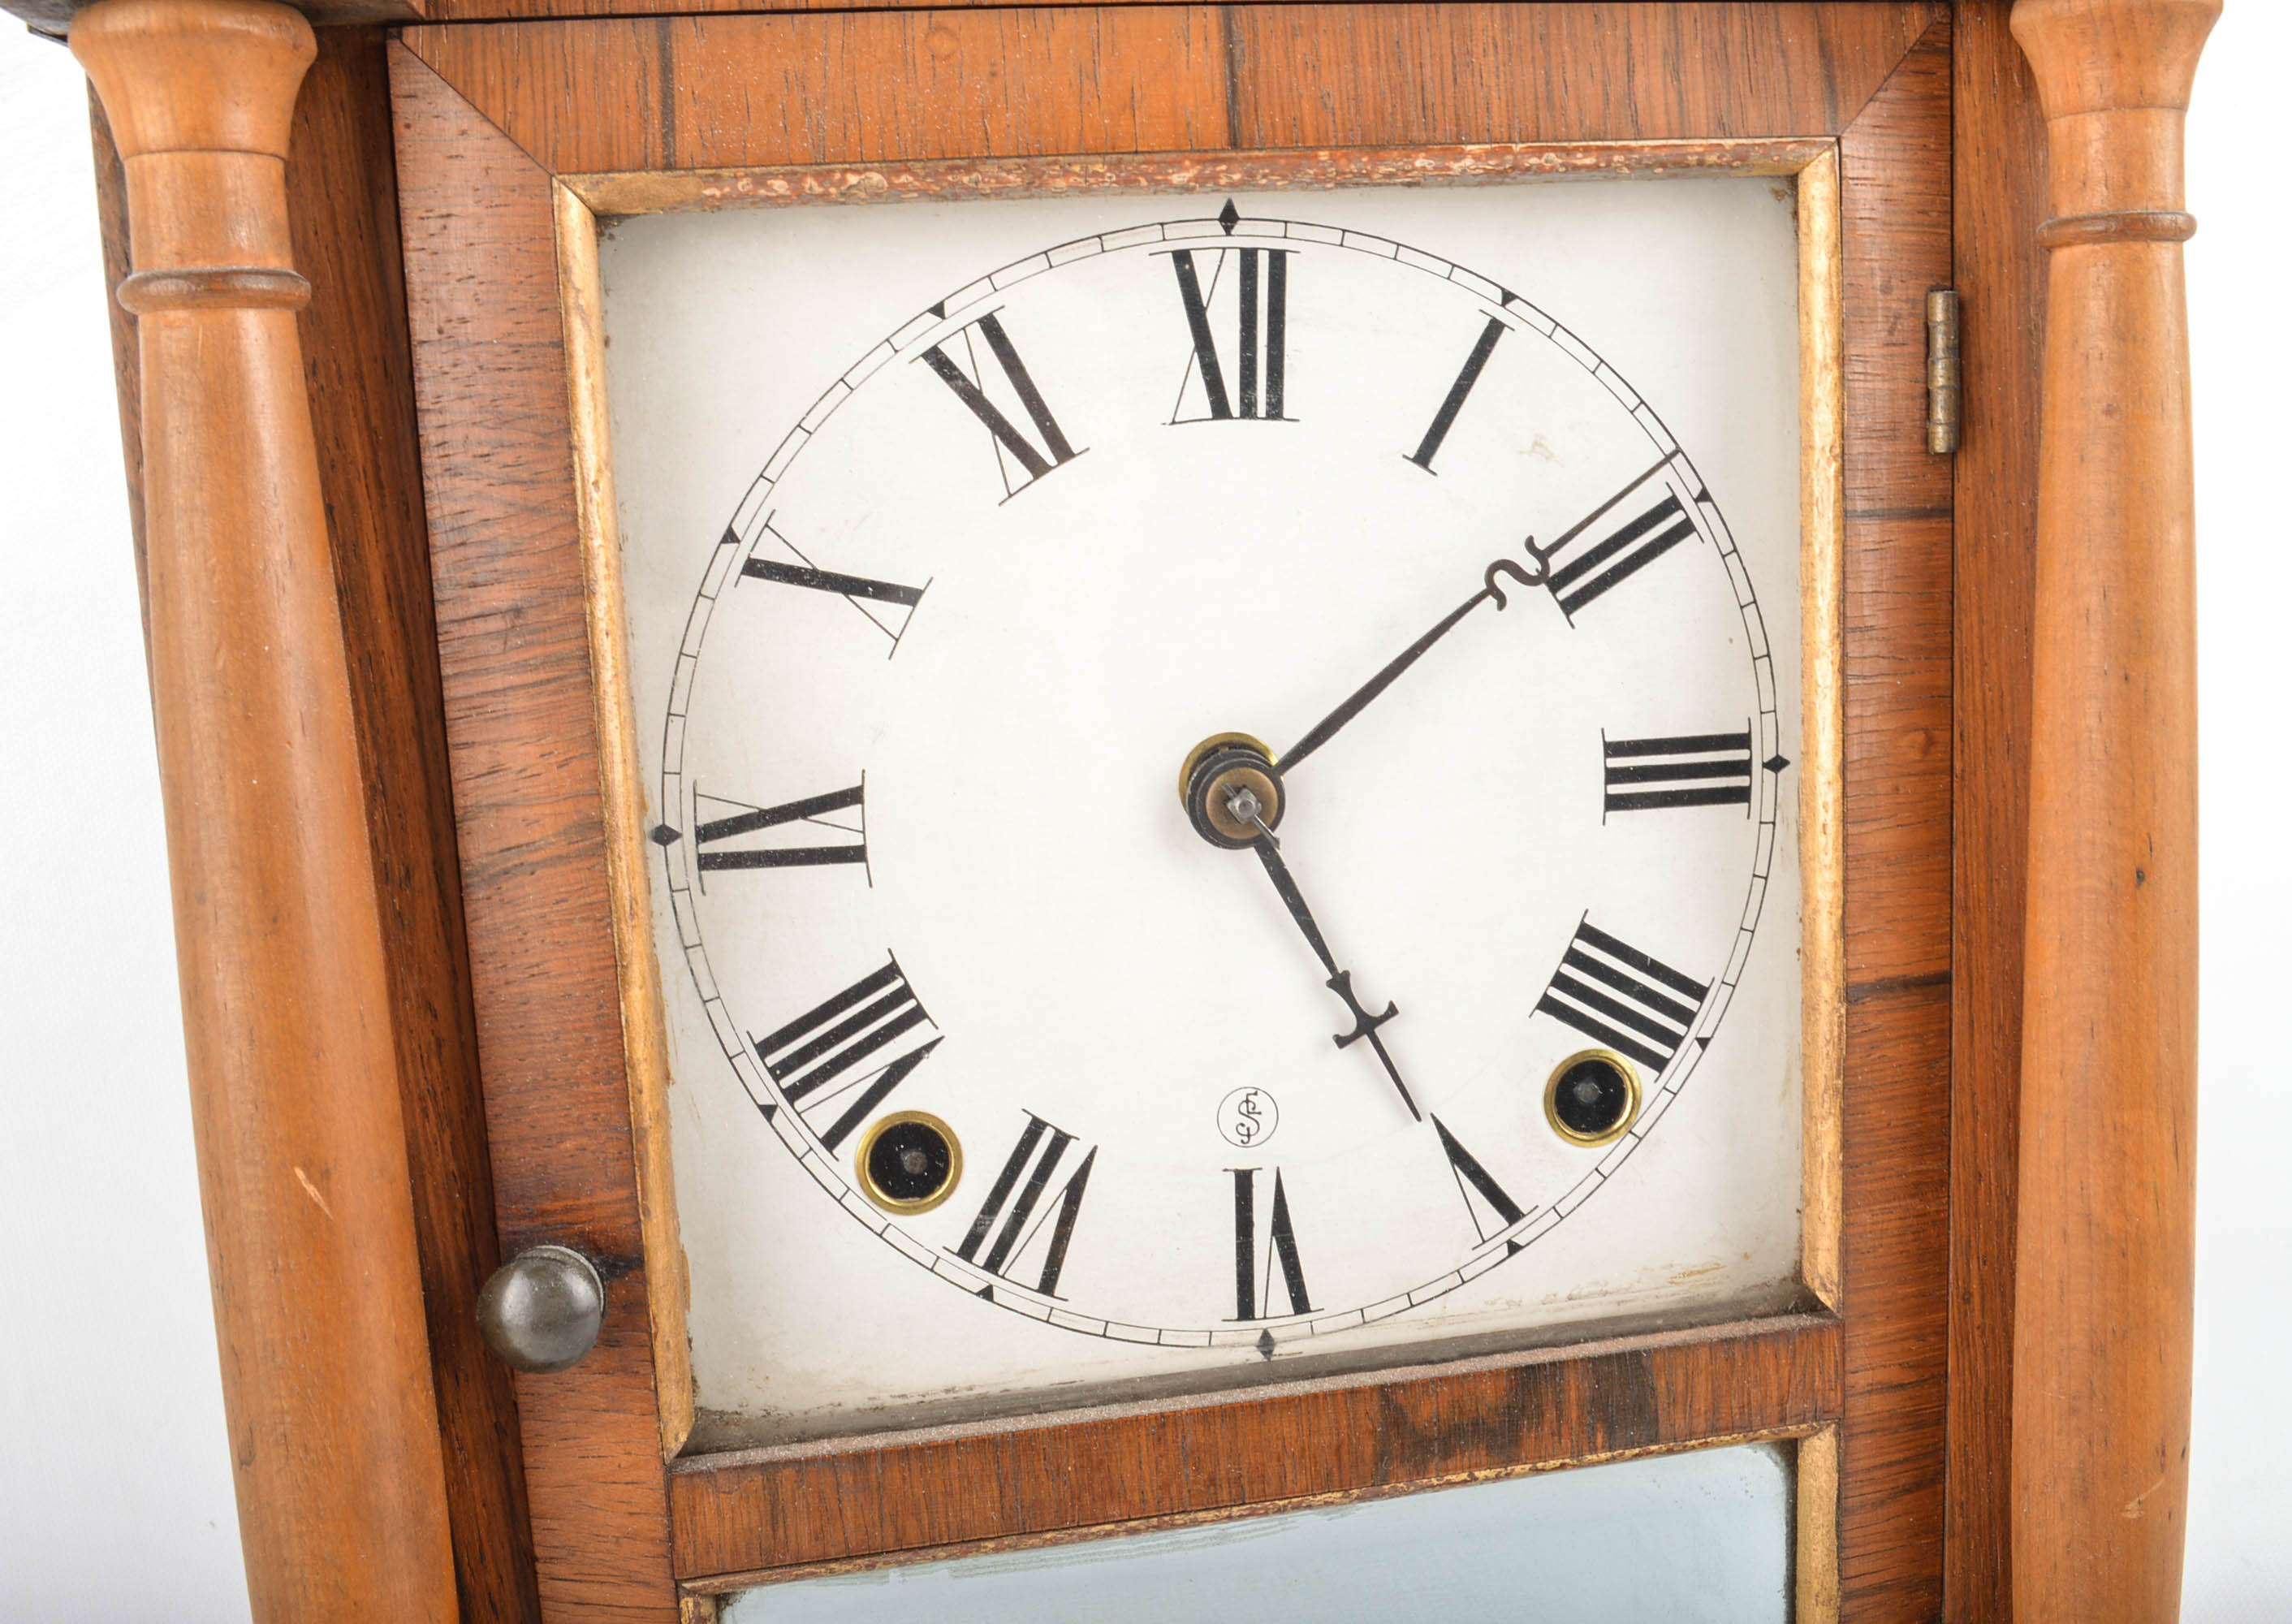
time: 5:08
